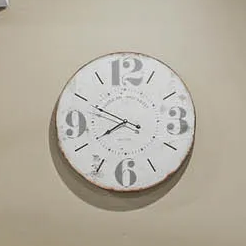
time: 7:49
